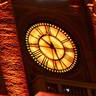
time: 10:26
